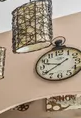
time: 9:39
